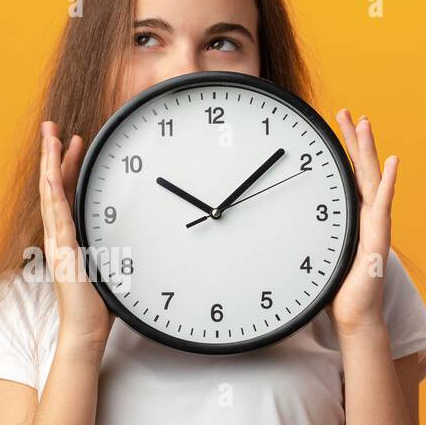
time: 10:07
